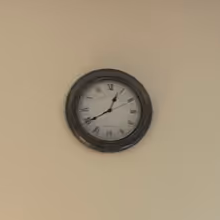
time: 12:39
